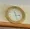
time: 3:27
